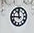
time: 11:45
